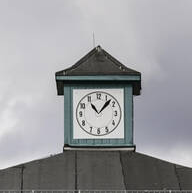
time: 11:07
